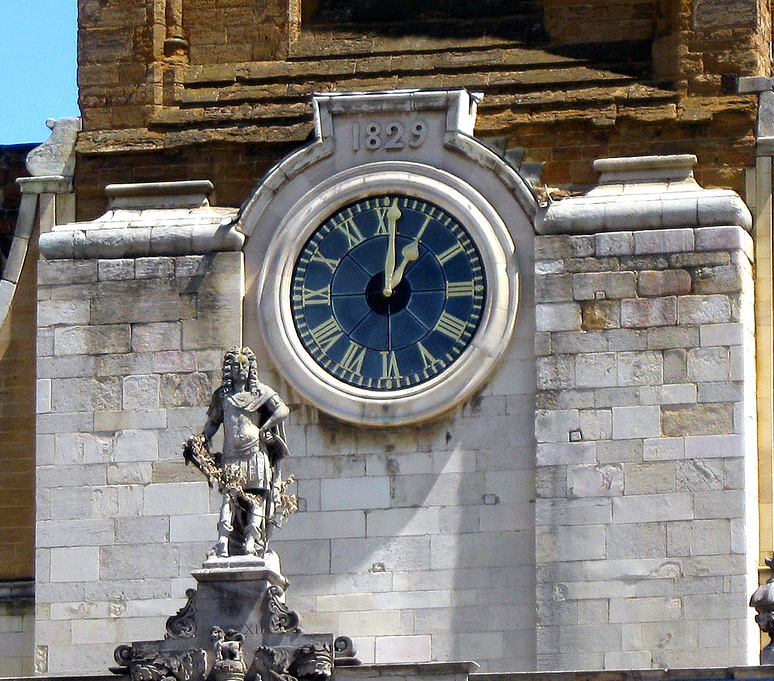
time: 1:01
